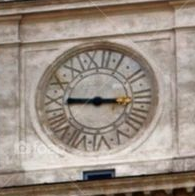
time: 9:16
